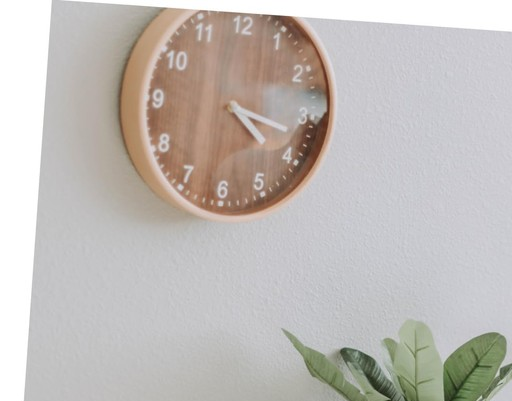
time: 4:17
